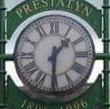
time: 1:30
